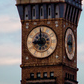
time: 8:58
